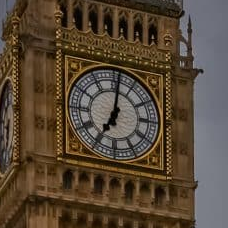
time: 7:01
